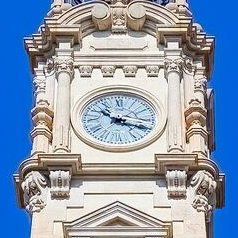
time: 10:18
